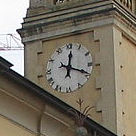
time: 12:18
